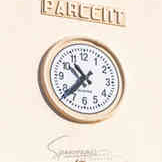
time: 10:37
